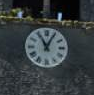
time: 11:04
